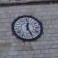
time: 12:26
